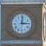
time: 12:14
